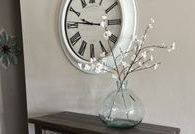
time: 9:45
